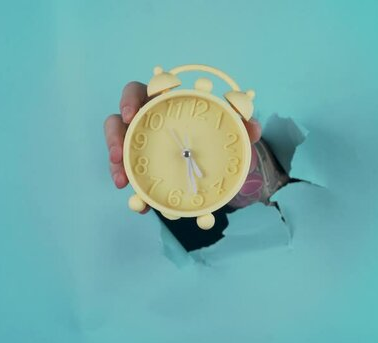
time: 4:25
